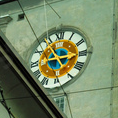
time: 2:54
